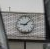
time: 9:07
